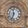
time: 11:33
